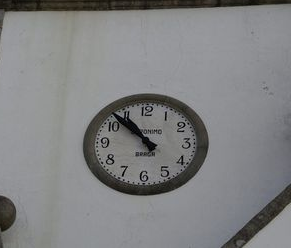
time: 10:52
